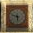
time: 5:49
